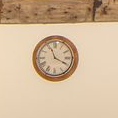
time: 11:19
